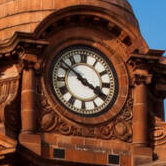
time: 3:51
